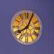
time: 8:04
